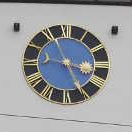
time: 3:25
